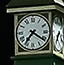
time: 7:20
